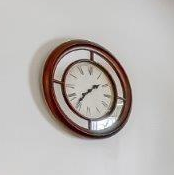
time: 1:36
